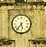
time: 5:36
